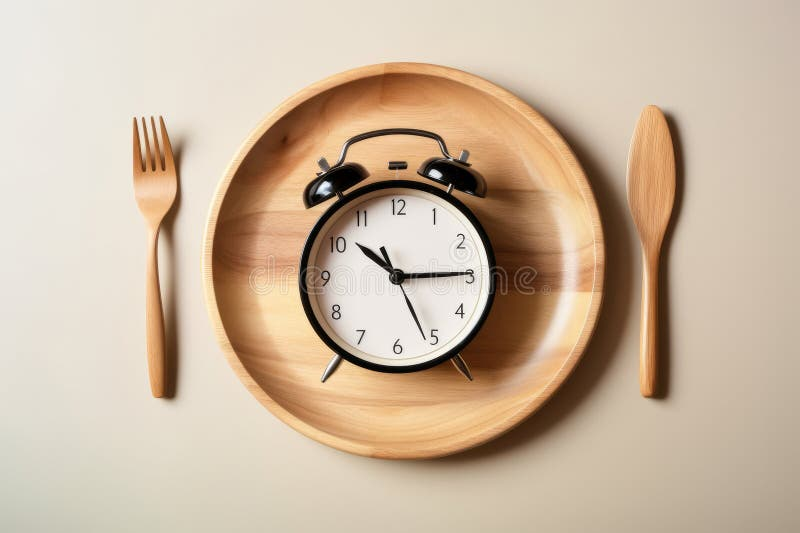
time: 10:14
